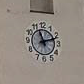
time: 11:12
